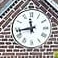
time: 11:43
